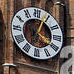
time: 4:03
